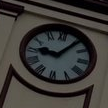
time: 9:05
